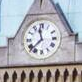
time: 11:37
